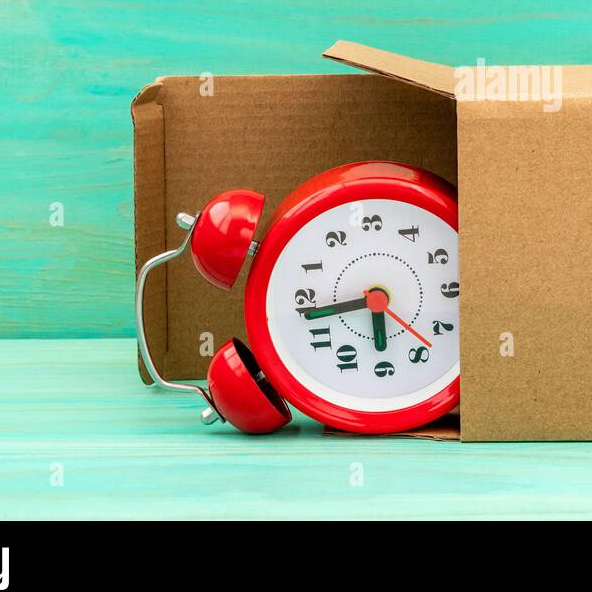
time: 5:43
